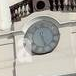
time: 5:26
